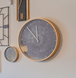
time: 11:52
